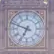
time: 6:48
